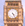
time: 4:24
